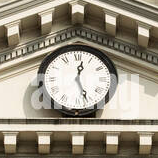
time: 12:26
